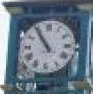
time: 10:54
